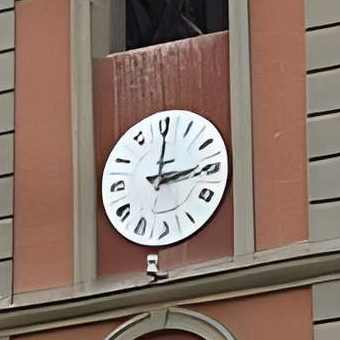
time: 3:00
